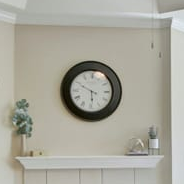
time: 5:49
